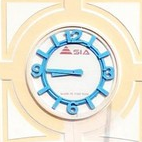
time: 8:45
